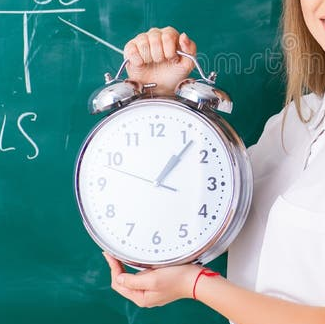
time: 1:06
